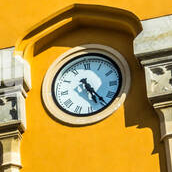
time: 5:23
